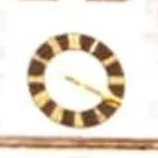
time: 3:18
